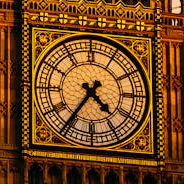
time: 4:35
